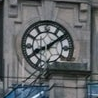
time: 8:09
